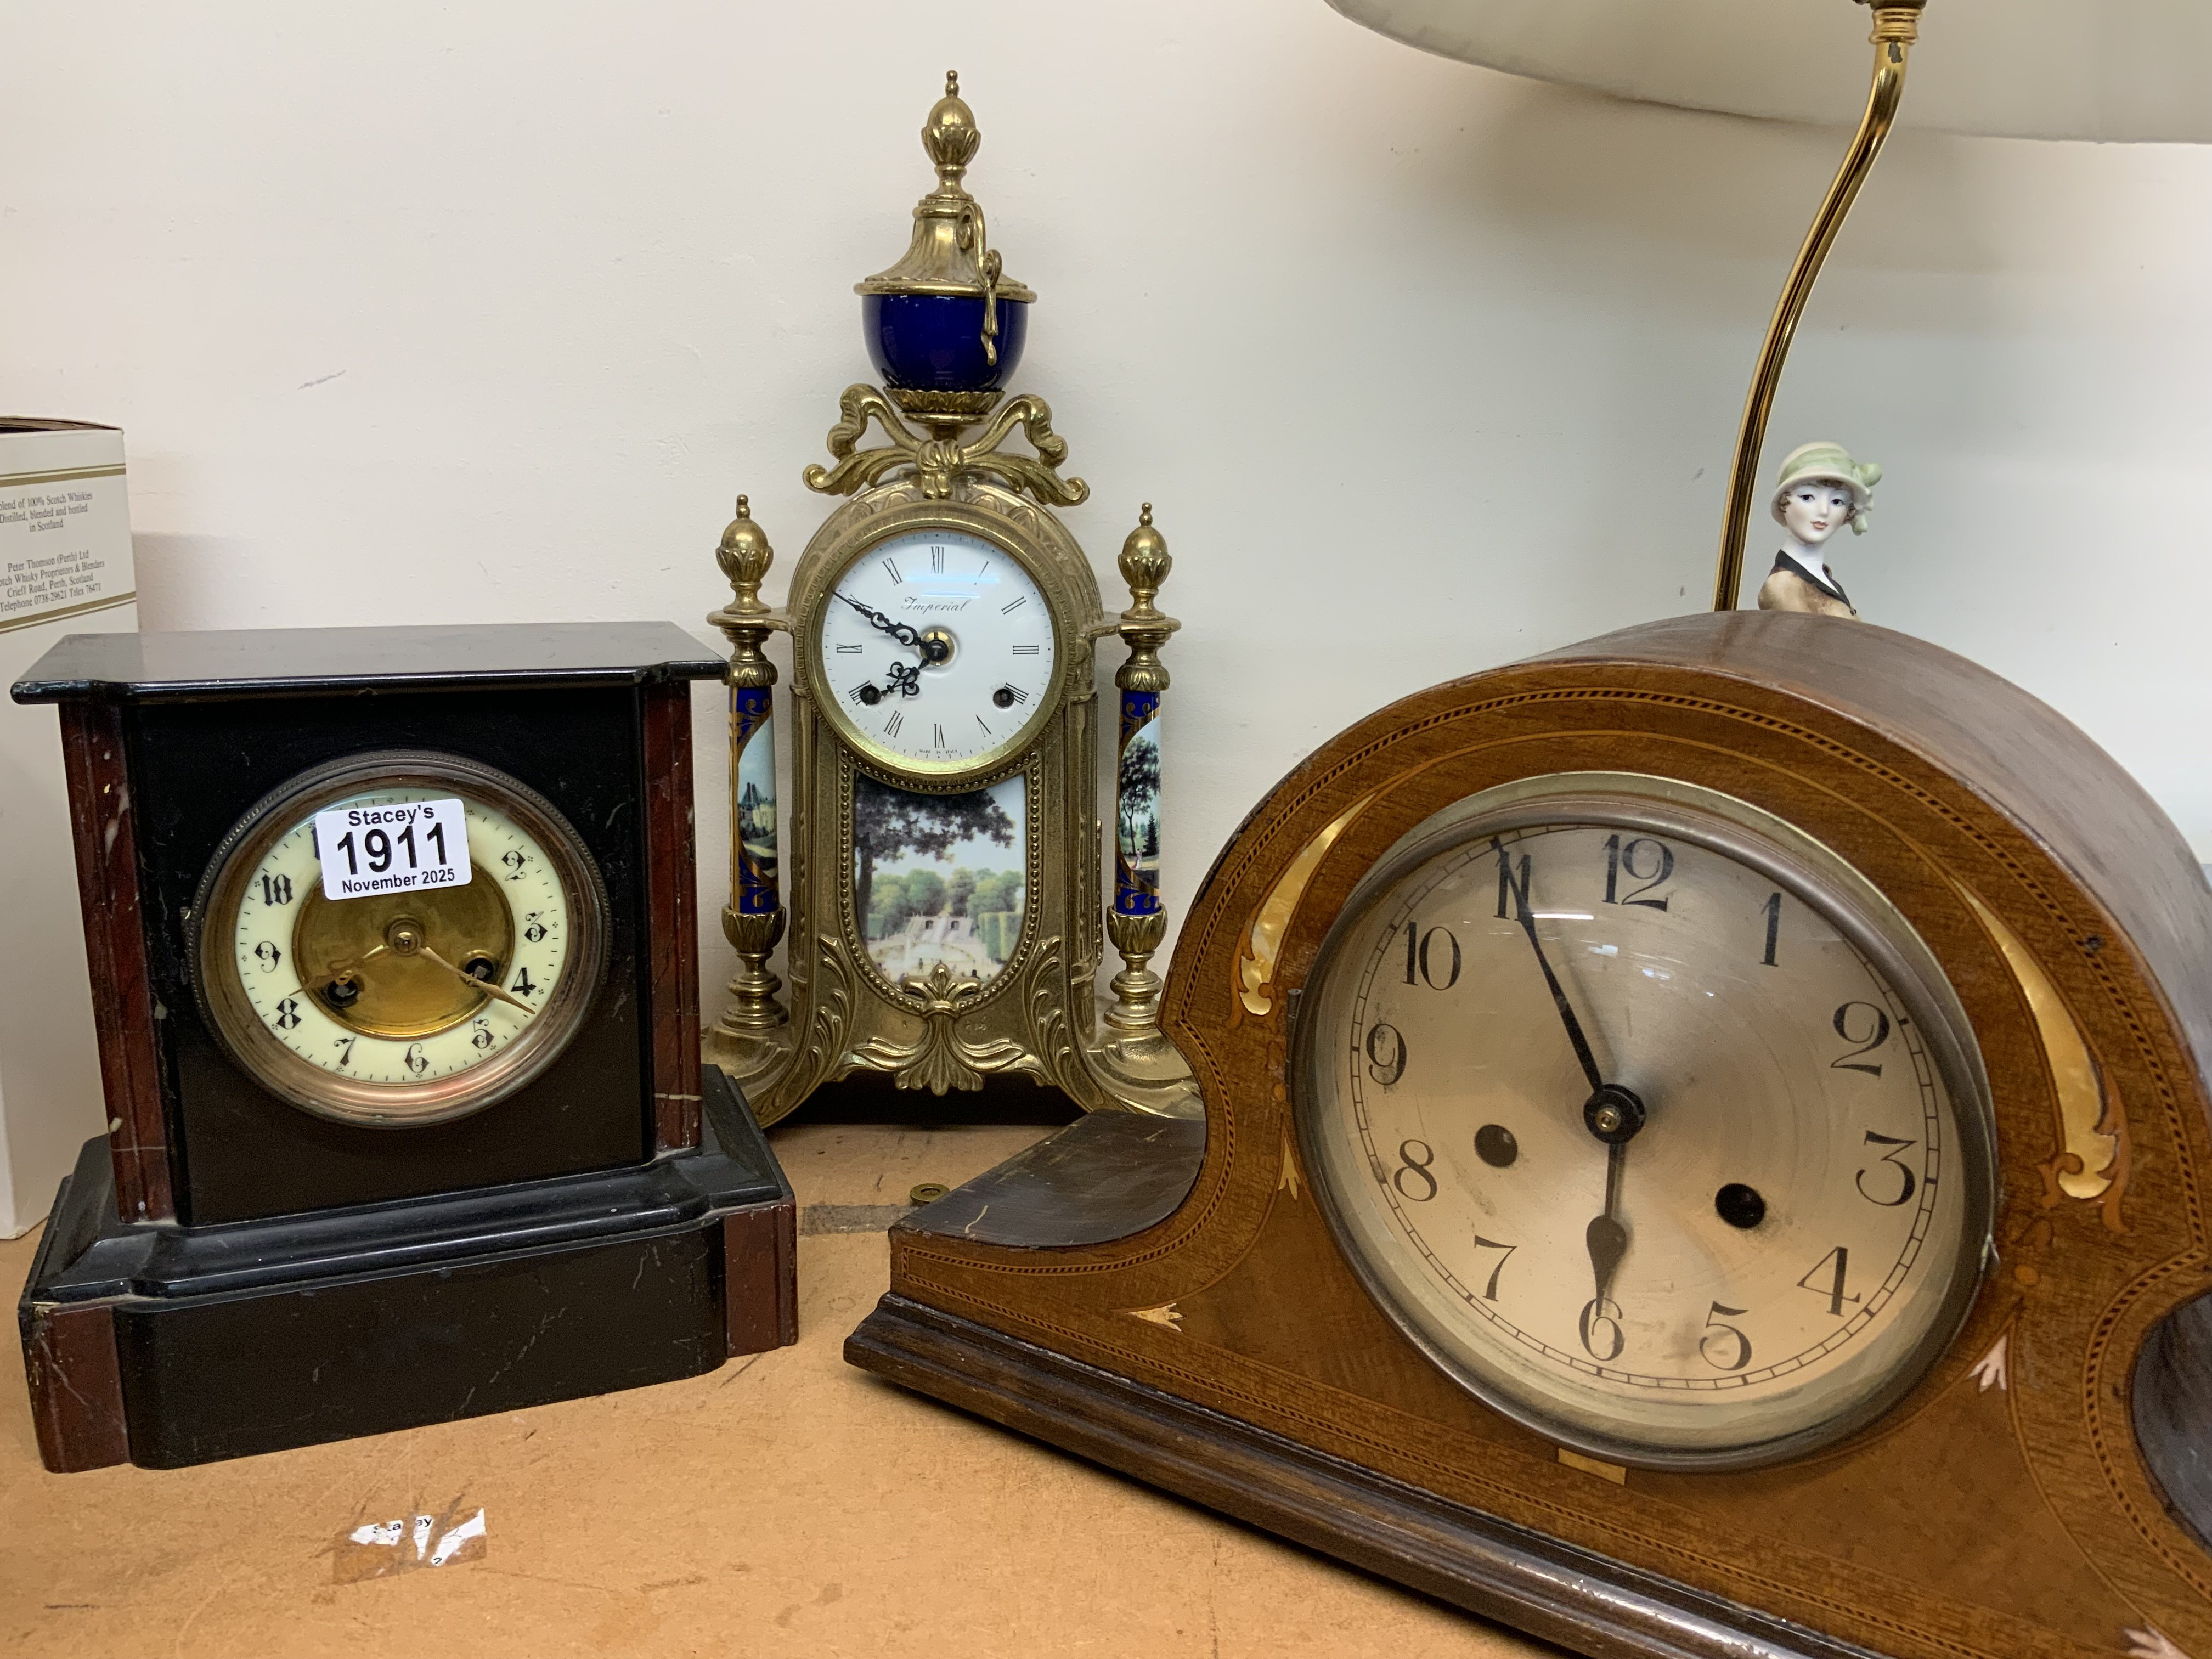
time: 5:55
